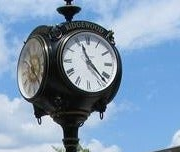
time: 11:22
